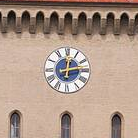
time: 12:13
